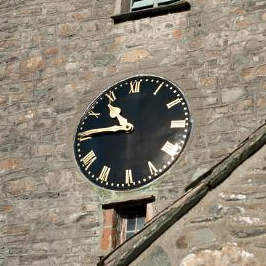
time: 10:45
